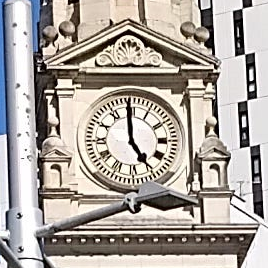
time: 4:59
